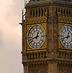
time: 12:42
